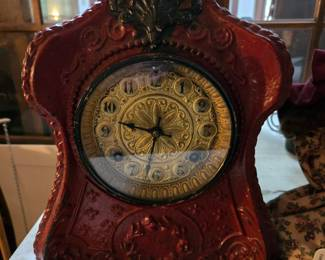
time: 9:32
